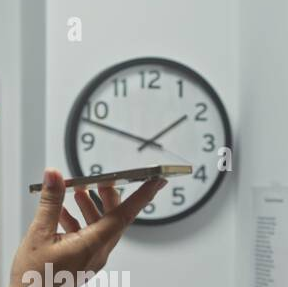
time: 1:48
